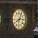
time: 8:04
